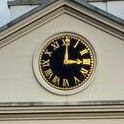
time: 3:00
